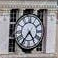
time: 4:36
